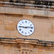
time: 9:13
